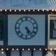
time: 5:23
